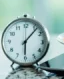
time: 6:06
